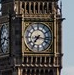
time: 7:16
